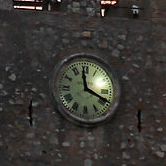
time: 3:58
